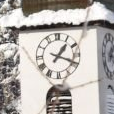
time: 1:18
